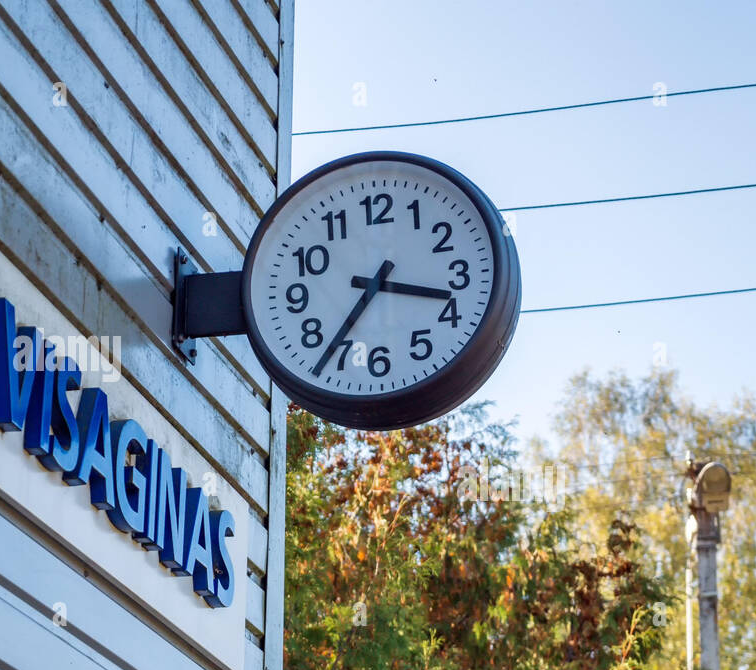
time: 3:36
